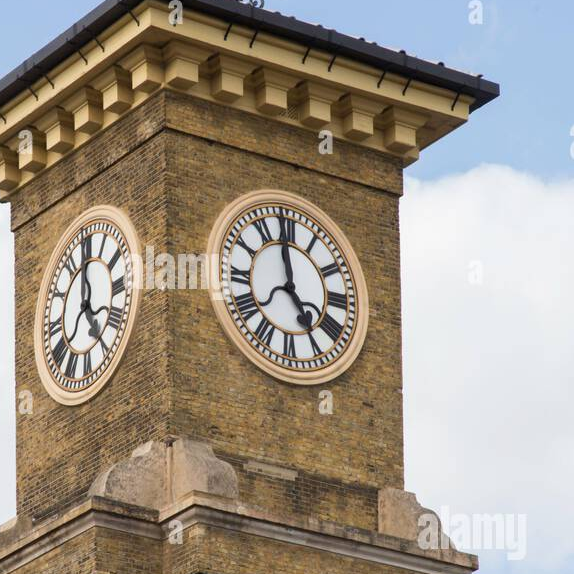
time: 3:58
